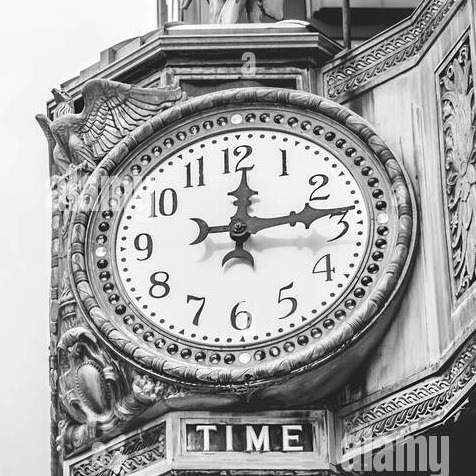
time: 12:13
